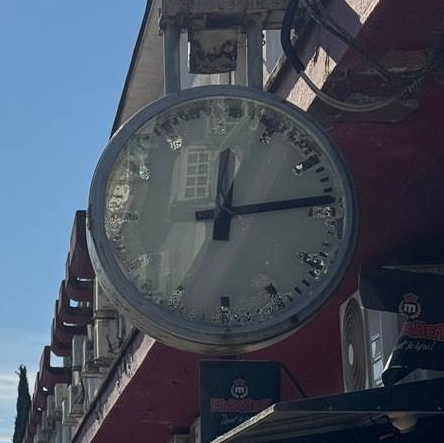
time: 12:14
